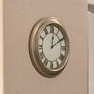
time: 12:10
